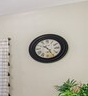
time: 10:24
